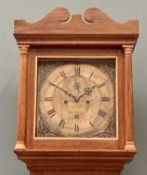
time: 1:50
